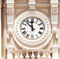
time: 11:52
